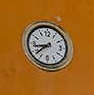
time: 8:38
